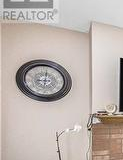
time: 9:01
